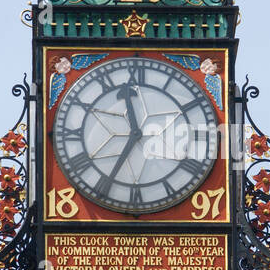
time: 11:34
